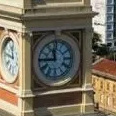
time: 11:45
